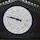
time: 9:47
